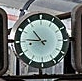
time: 10:45
